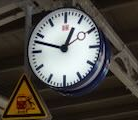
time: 12:47
